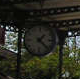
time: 1:22
